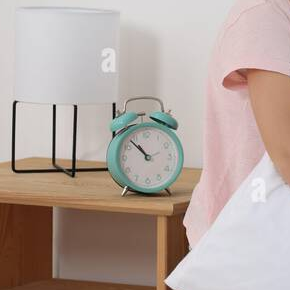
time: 10:53
